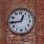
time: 12:44
